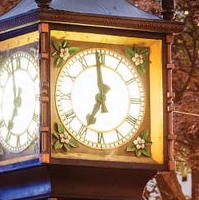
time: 6:58
